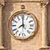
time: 7:59
